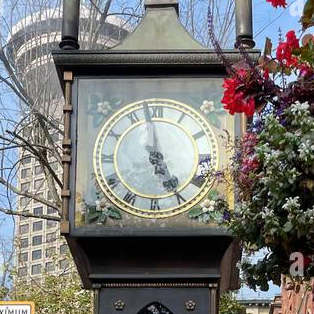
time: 4:58
